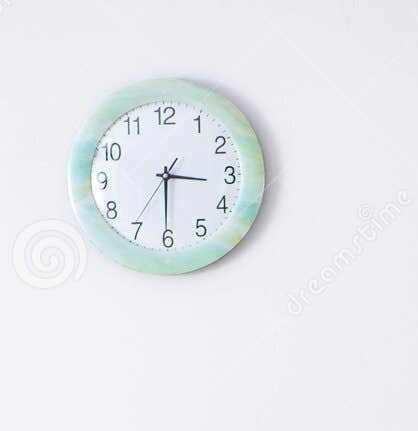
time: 3:30
